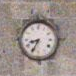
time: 8:34
